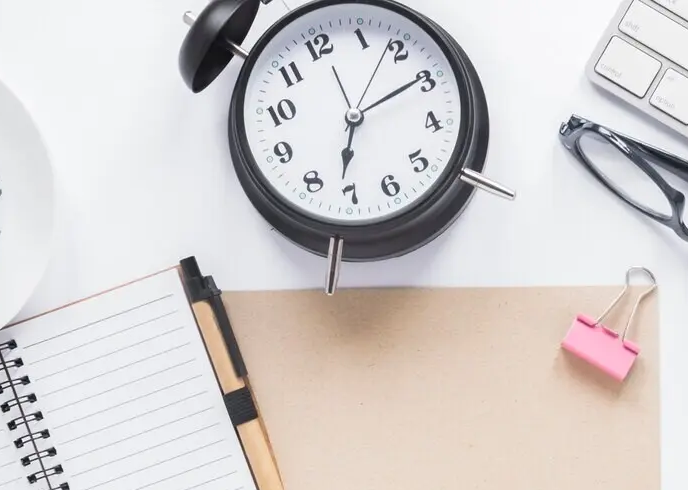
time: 7:14
